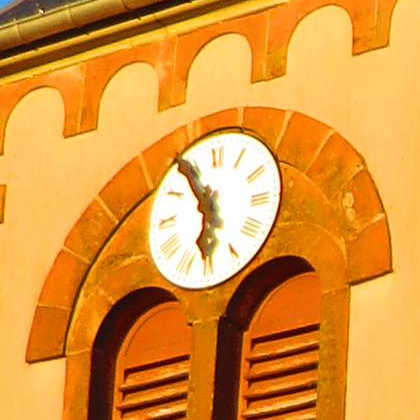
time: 5:54
